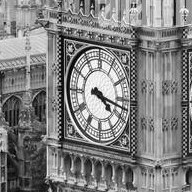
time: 4:17
